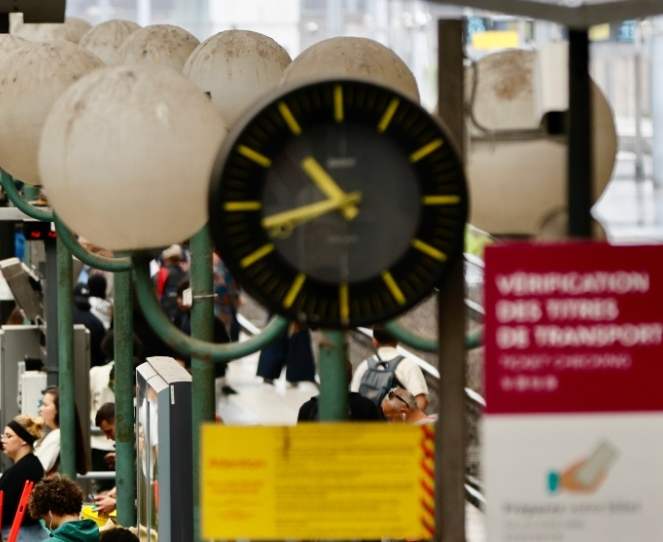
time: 10:42
